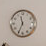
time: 11:34
